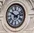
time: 10:12
